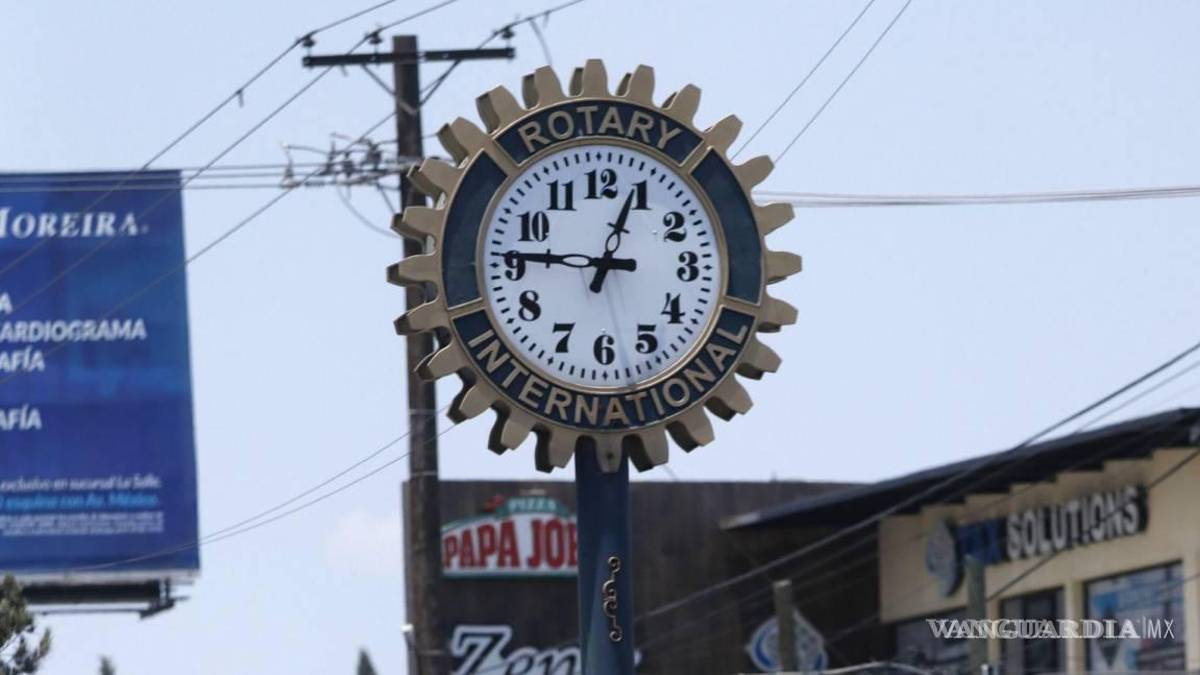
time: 12:46
